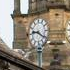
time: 9:20
